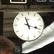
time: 11:17
